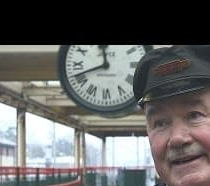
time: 11:41
